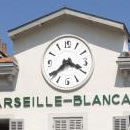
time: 3:38
